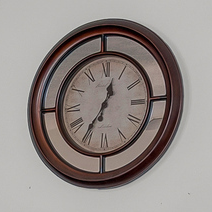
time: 12:35
